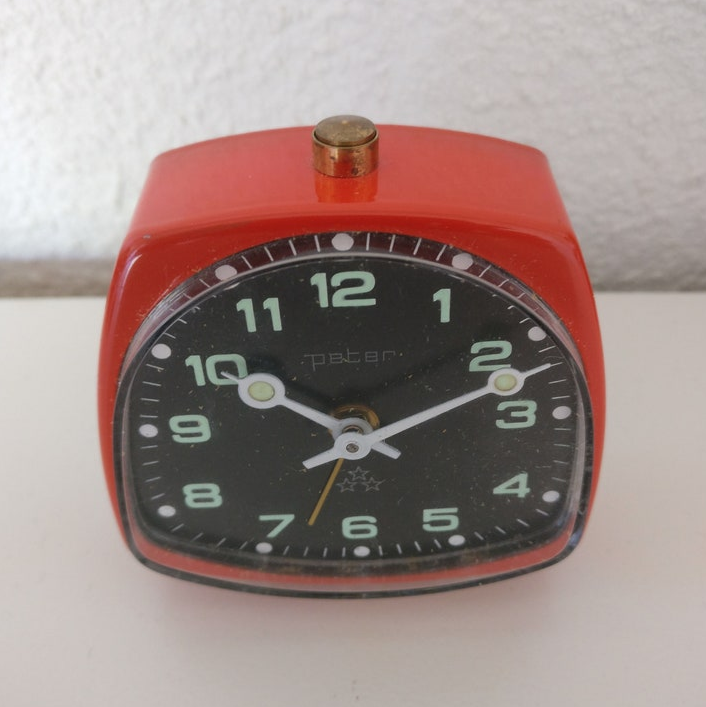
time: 10:11
